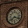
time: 7:18
